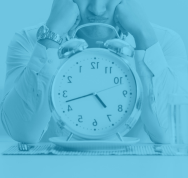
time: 4:42
